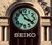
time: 3:55
